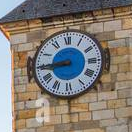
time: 8:44
